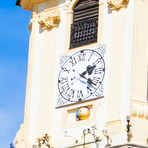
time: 2:21
